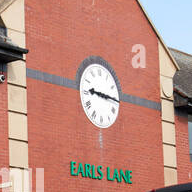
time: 9:15
